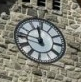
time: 11:46
